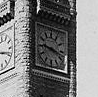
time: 9:17
